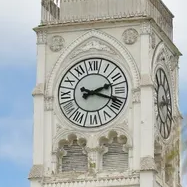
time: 2:18
